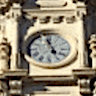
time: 4:57
